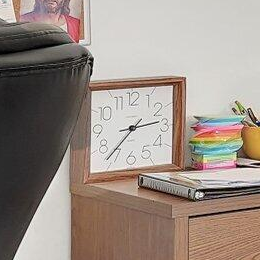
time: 2:37
